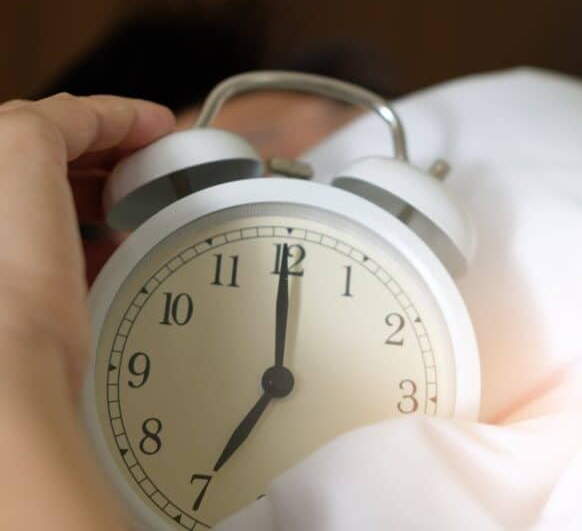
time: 7:00
